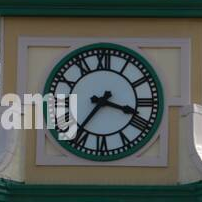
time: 3:36
